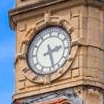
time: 2:27
